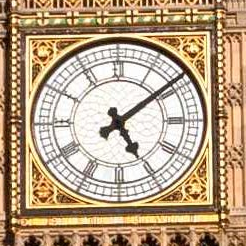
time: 5:08
